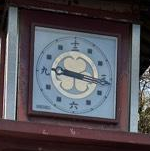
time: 9:16
